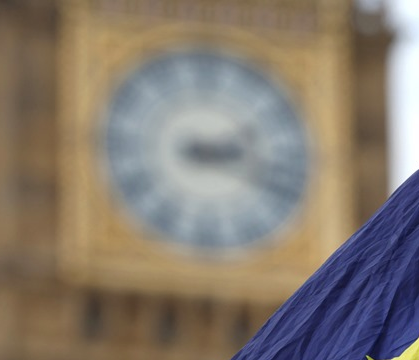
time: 2:18
